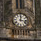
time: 12:16
